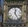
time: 12:24
